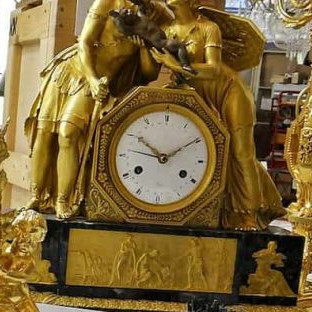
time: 10:09
